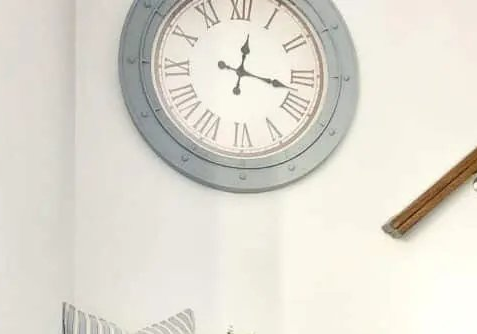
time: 12:17
